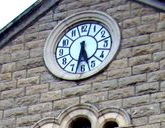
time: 5:32
